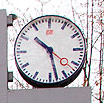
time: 10:28
